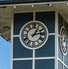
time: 1:13
